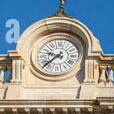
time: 9:37
